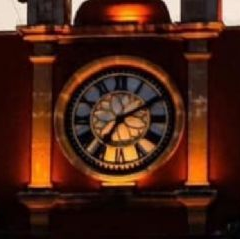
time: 7:10
